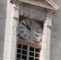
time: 10:50
